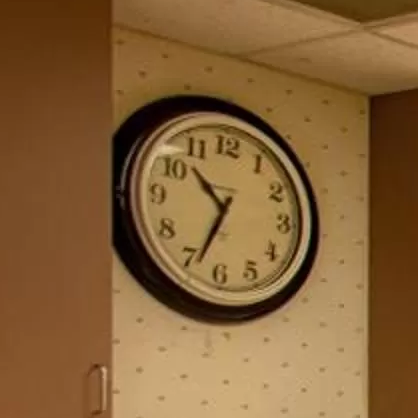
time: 10:33
